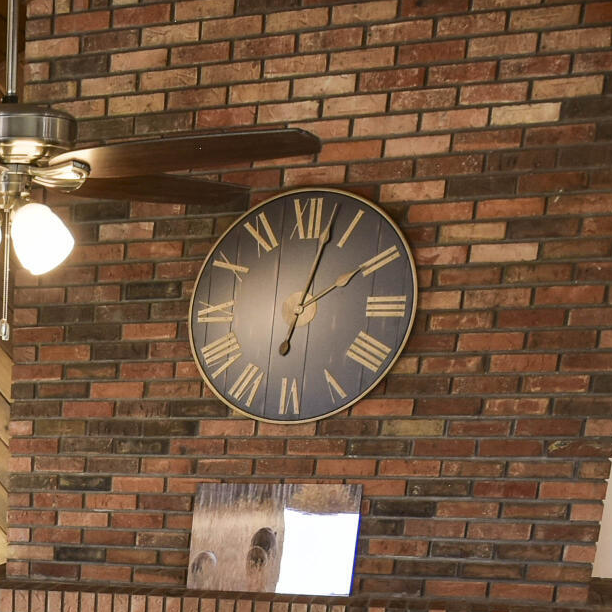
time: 2:02
